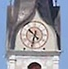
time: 10:32
